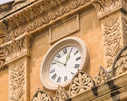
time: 12:51
